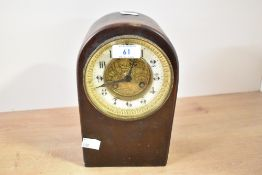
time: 12:42
